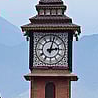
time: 3:02
